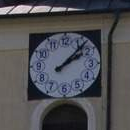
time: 2:07
